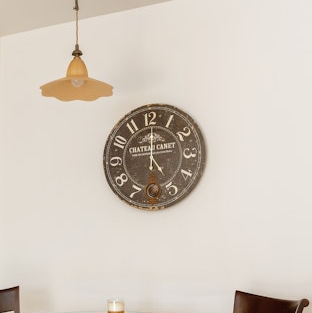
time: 5:00
